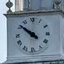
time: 9:51
